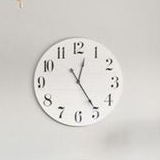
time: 12:24
